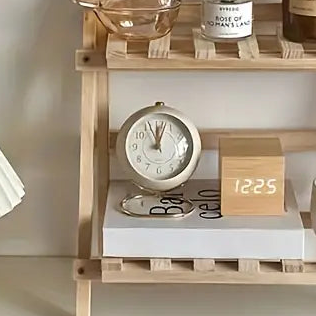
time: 12:02
